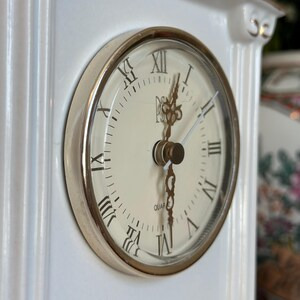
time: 12:29
